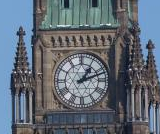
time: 1:11
